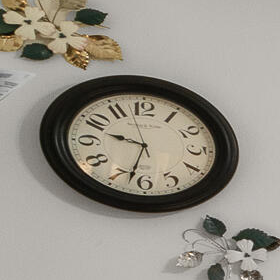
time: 9:32
